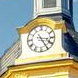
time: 3:24
